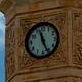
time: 11:26
